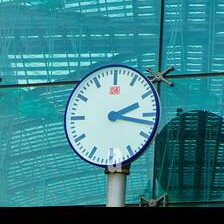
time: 2:17
